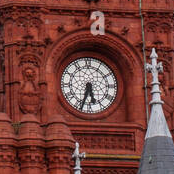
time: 5:33
